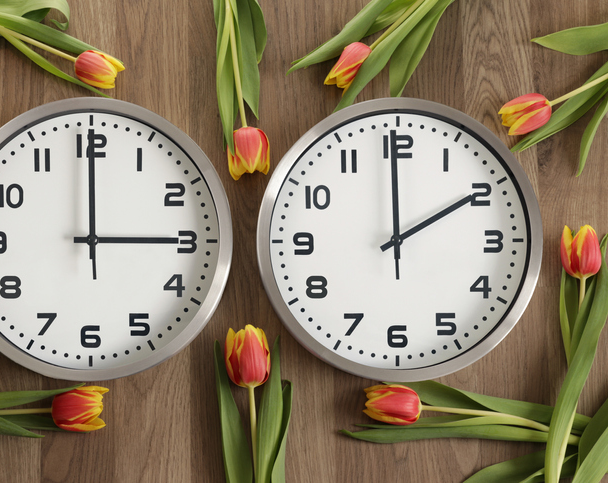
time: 1:59
